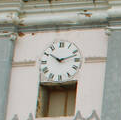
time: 10:12
